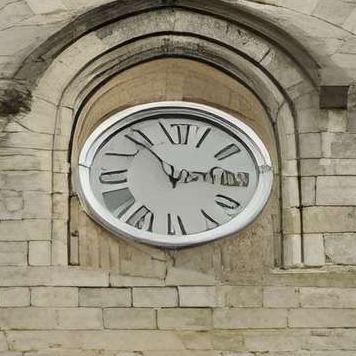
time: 2:54
